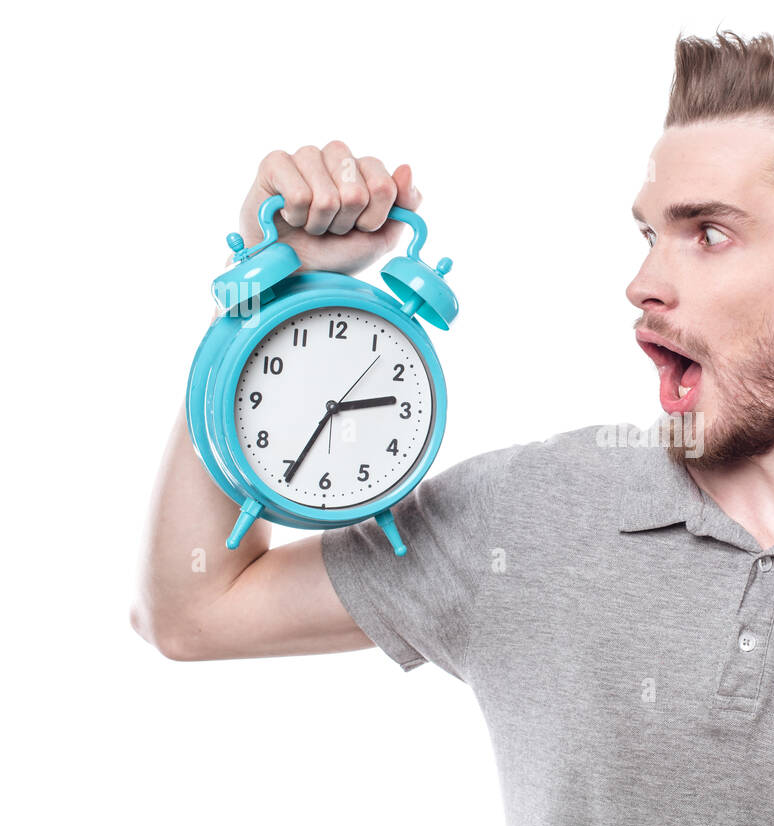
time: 2:34
